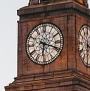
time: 6:18
